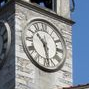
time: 10:28
